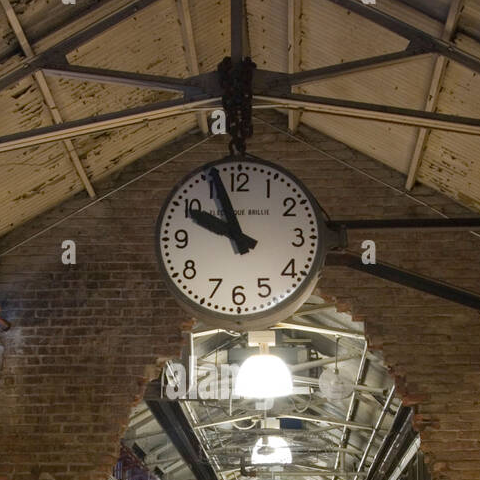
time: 9:56
